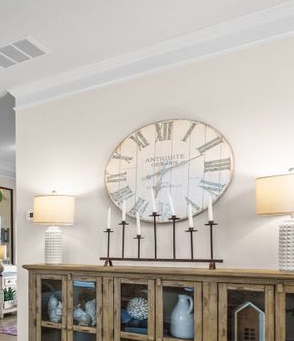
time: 6:10
